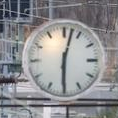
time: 6:02
